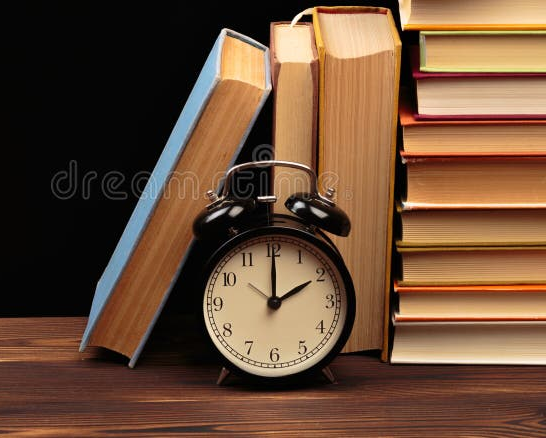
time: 2:00
